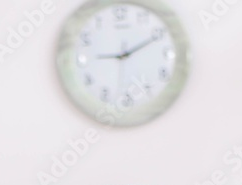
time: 9:10
